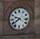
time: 9:39
